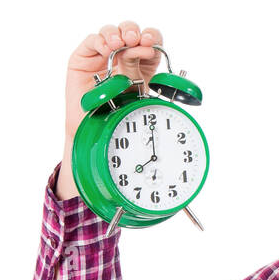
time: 8:00
